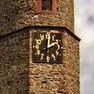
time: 2:00
